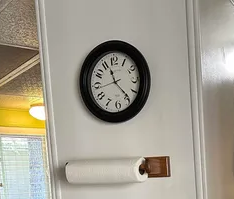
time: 11:23
